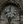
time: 11:41
